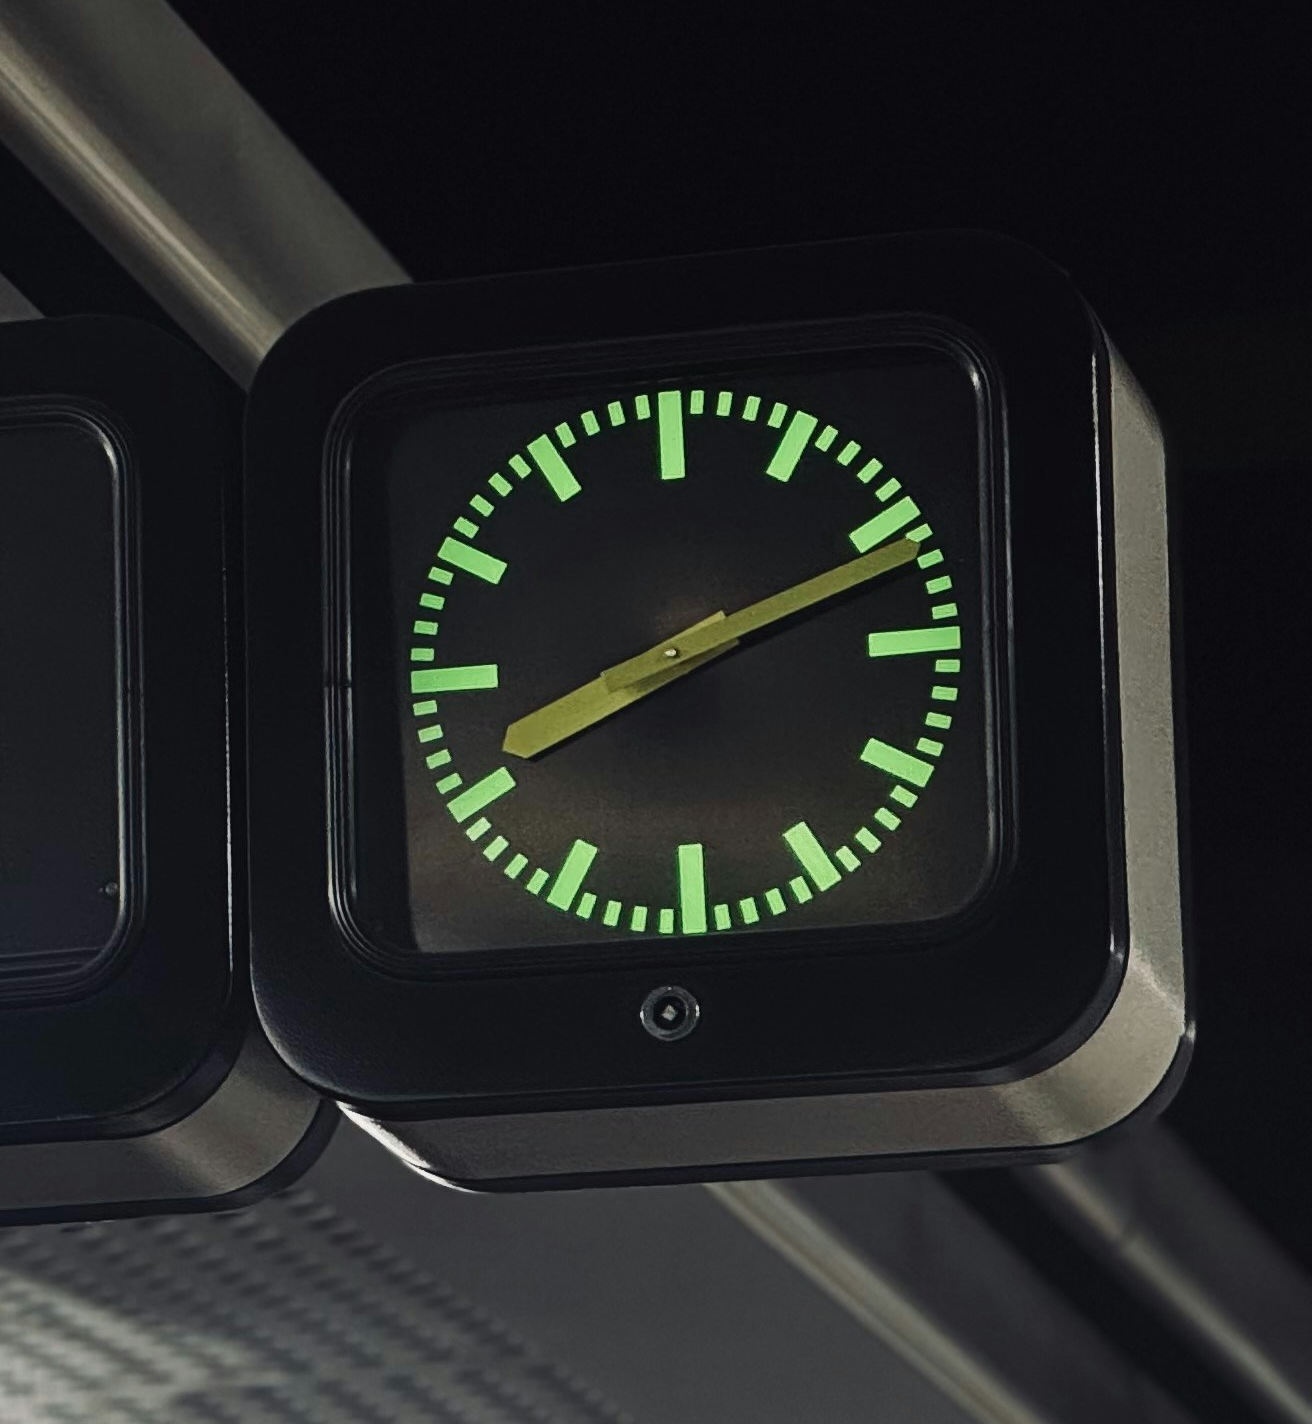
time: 8:11
